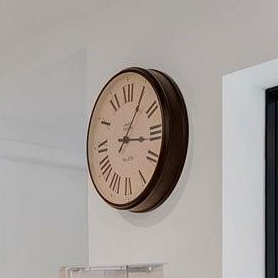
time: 3:05
